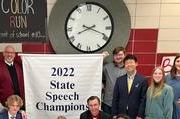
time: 8:18
